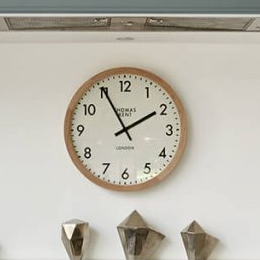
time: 1:55
